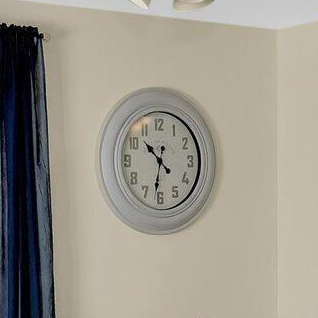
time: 10:32
